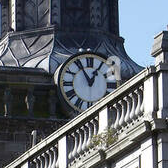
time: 12:55
